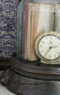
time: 2:35
